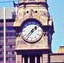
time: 1:36
